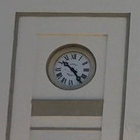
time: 10:24
